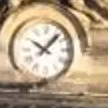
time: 10:07
